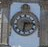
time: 6:14
